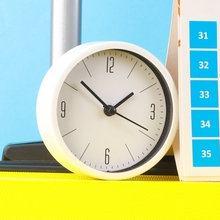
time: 1:52
